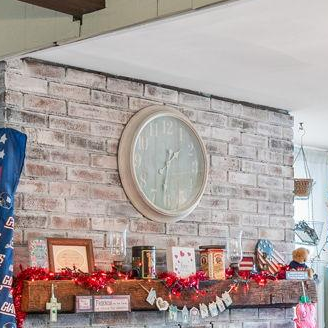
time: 1:32
